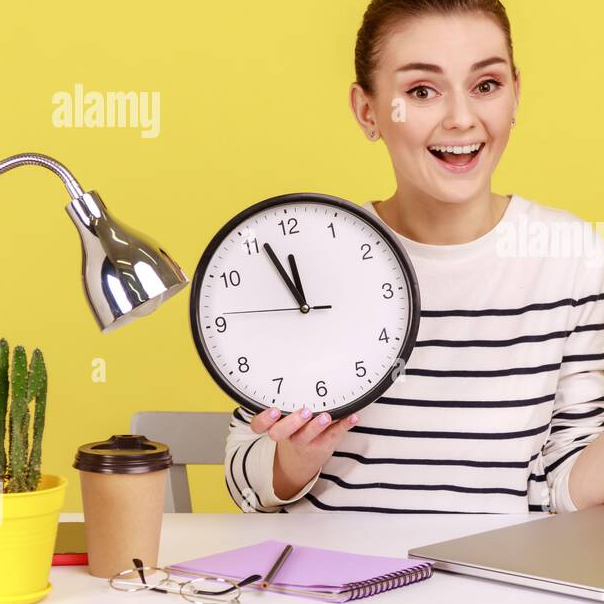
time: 11:56
